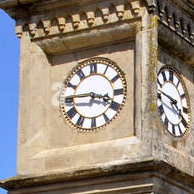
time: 3:45
